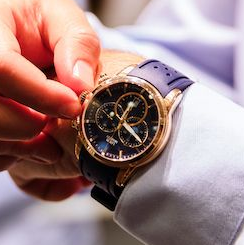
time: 1:22
